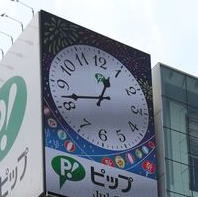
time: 12:42
